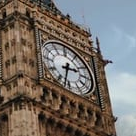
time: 2:32
